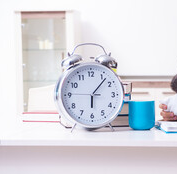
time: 6:06
